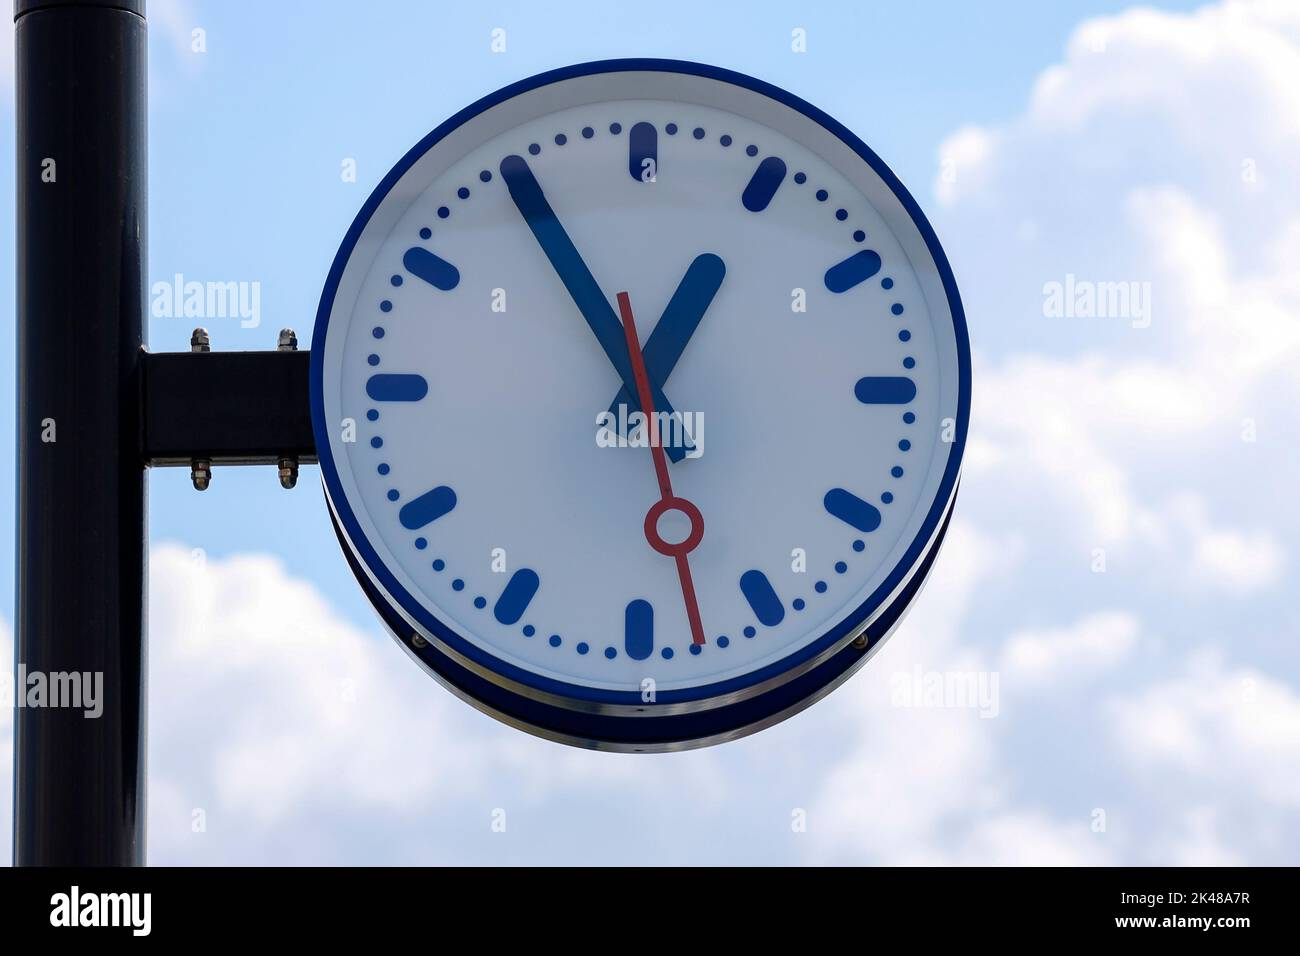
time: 12:54
